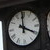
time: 3:59
